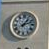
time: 1:11
